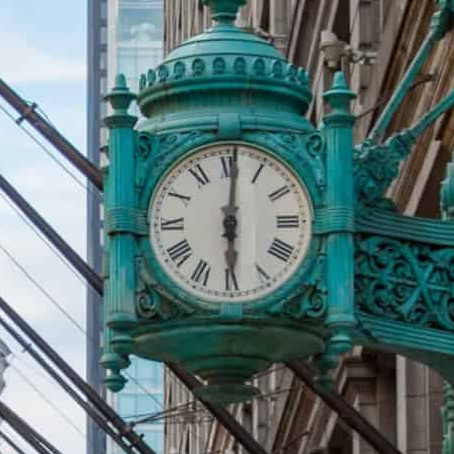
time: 6:00
